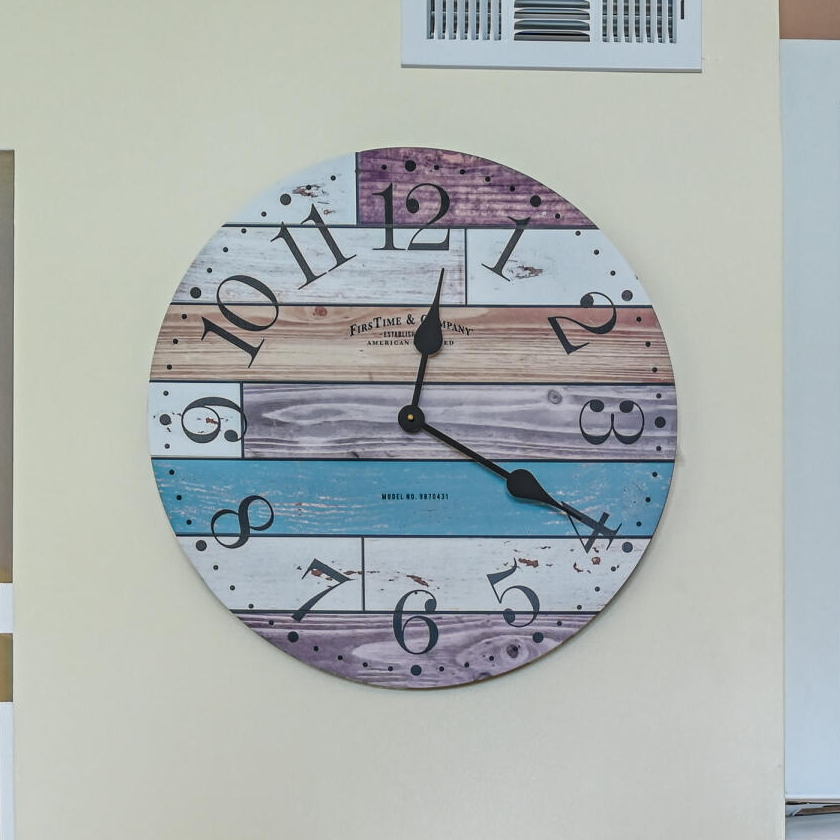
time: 12:20
